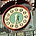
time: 5:31
